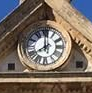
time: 7:59
